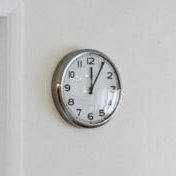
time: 12:05
